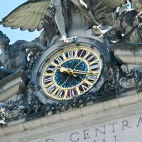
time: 3:16
